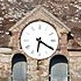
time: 6:20
